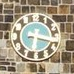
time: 6:17
